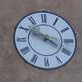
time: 3:49
